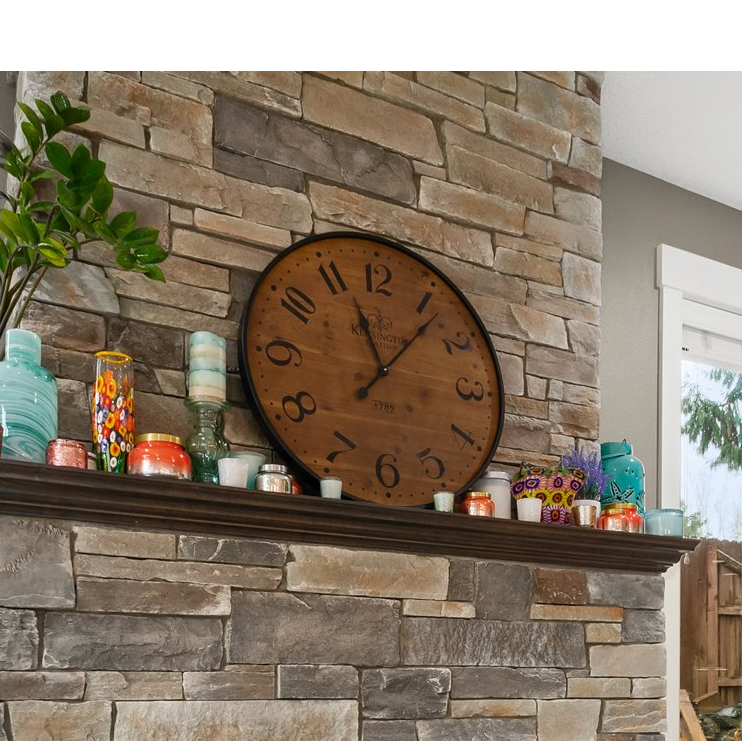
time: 11:06
